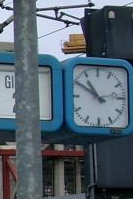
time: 10:50
